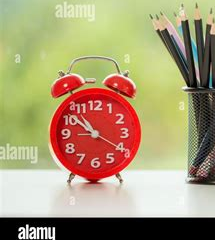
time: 10:51
